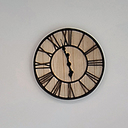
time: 5:57
